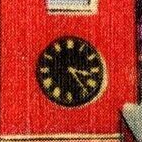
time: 3:23
